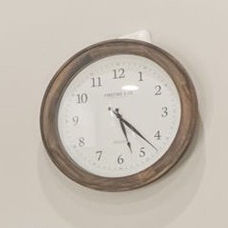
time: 5:22
